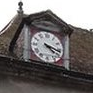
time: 4:17
